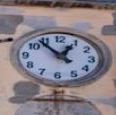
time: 12:53
